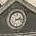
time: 2:15
